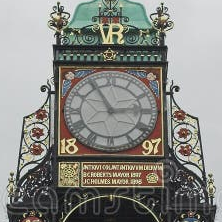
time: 2:55
